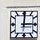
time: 3:00
